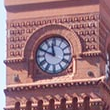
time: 11:48
